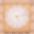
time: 5:12
